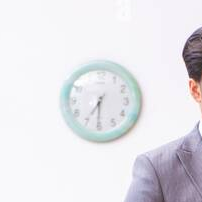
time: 7:30
